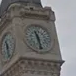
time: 11:28
